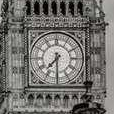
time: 7:30
